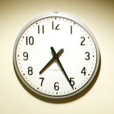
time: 7:25
